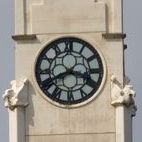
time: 3:40
